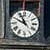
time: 10:48
